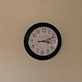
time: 3:11
